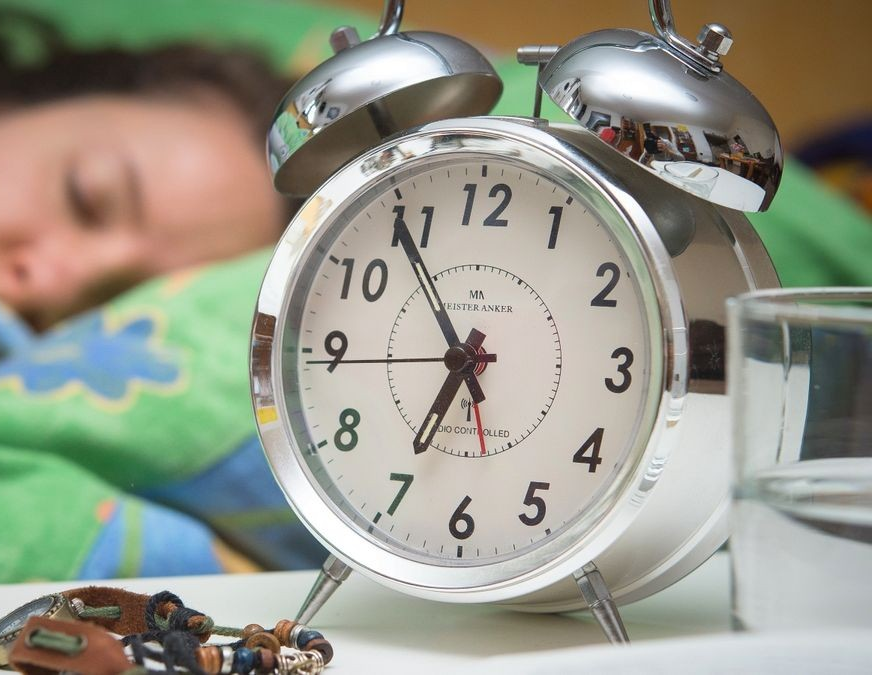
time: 6:54
